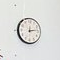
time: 12:13
